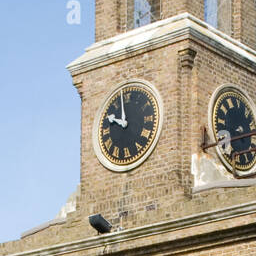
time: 9:57
